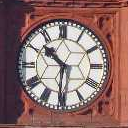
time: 10:30
